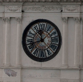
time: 11:42
